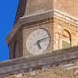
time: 5:12
